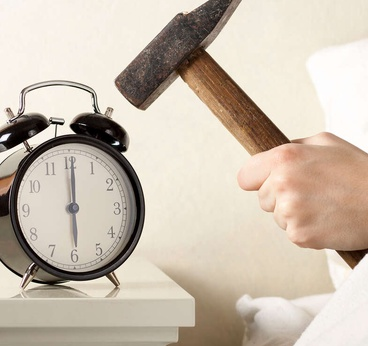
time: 6:00
